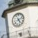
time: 5:11
